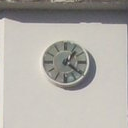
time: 1:21
